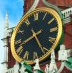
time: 8:25
